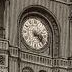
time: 3:22
